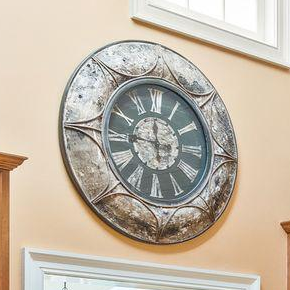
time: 11:46
